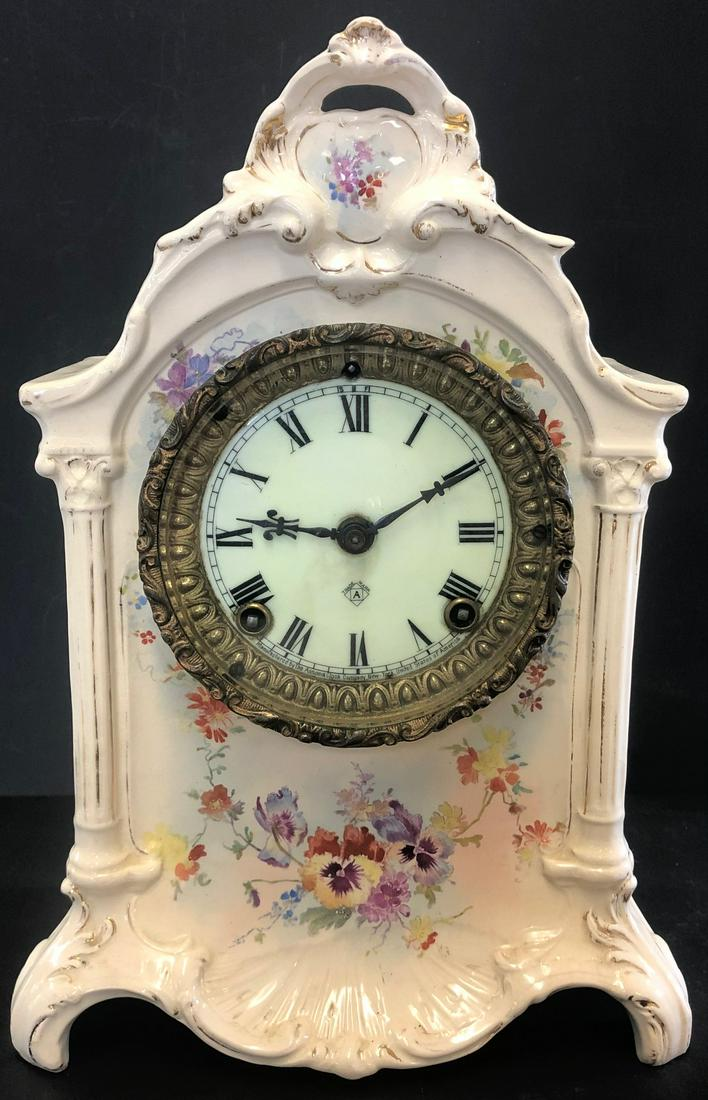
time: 9:10
